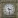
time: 3:28
